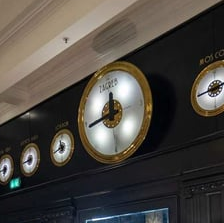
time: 11:41
